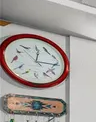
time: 12:14
